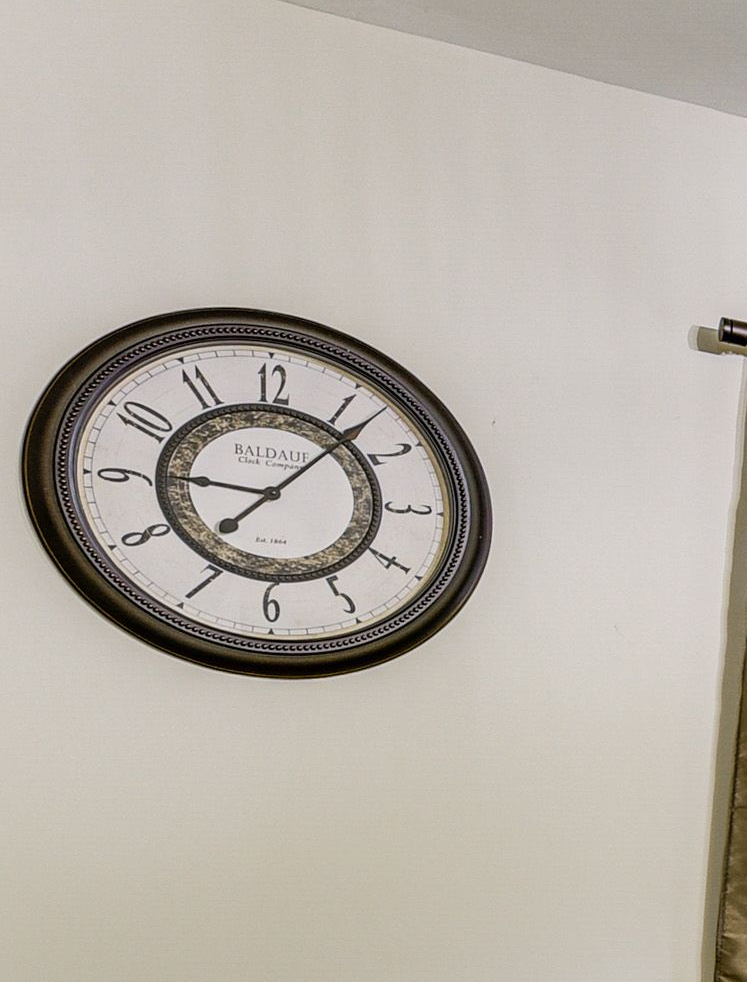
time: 9:07
